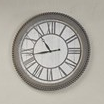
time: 8:54
